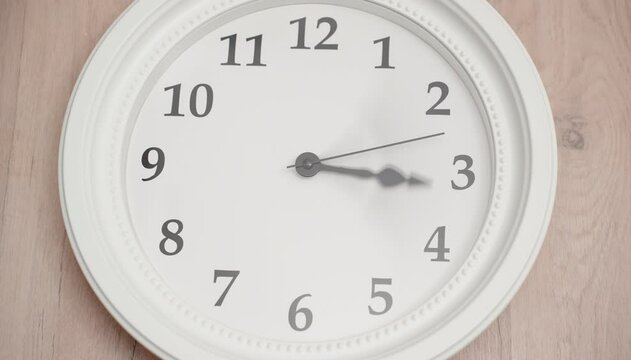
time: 3:16
